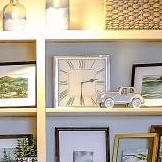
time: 2:30
